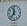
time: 11:35
